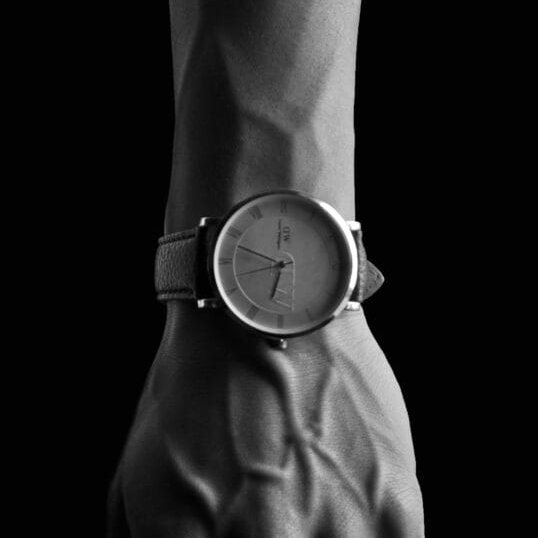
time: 6:47
